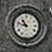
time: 10:47
